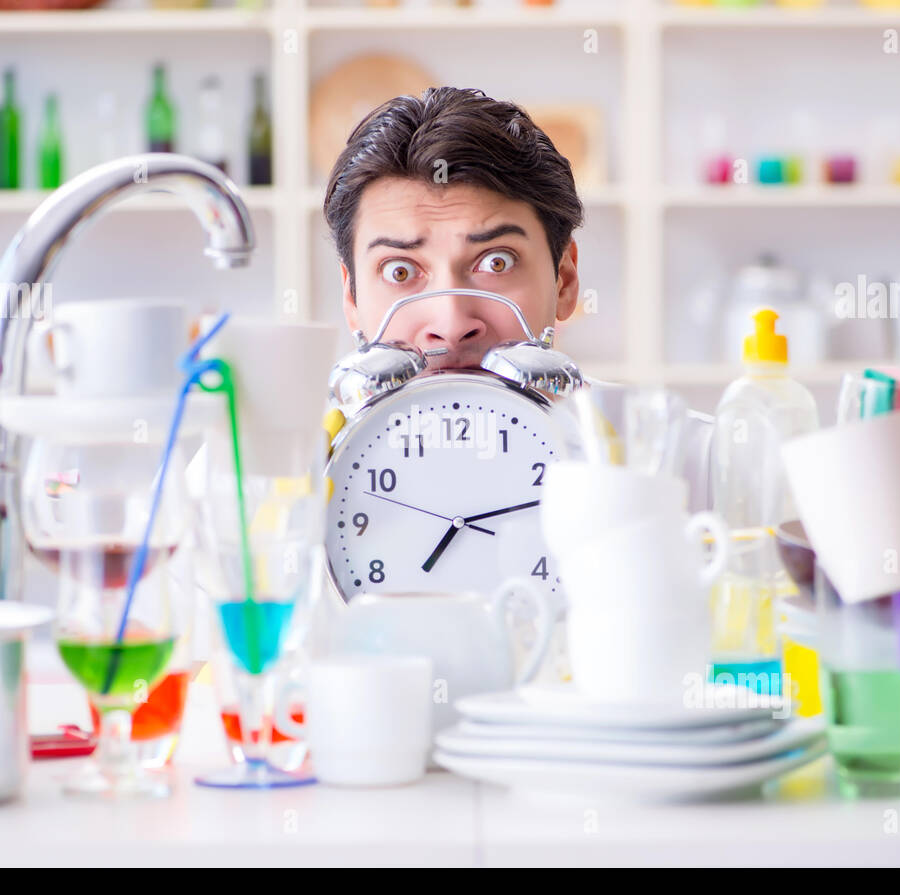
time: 7:12
